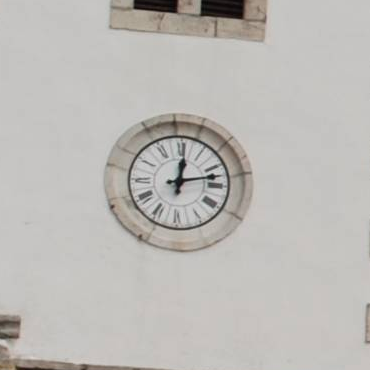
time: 12:12
